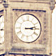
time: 3:13
